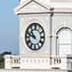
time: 10:48
